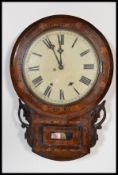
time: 10:59
